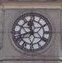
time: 11:41
